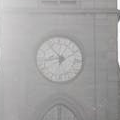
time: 8:53
